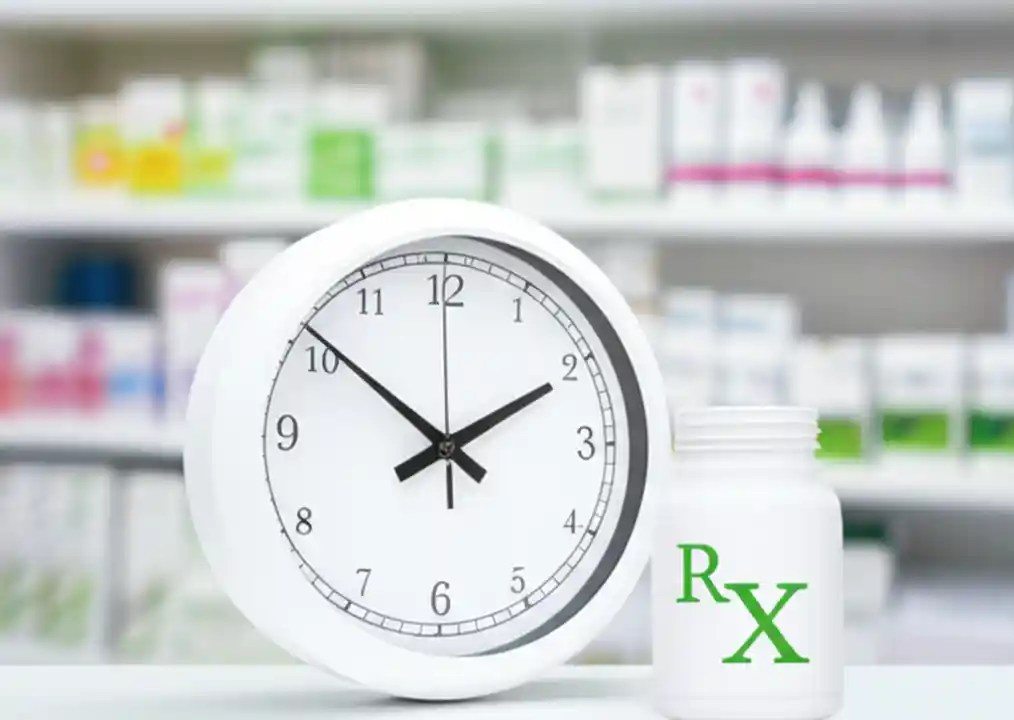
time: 1:51
